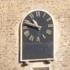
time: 10:48
